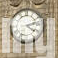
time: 4:12
